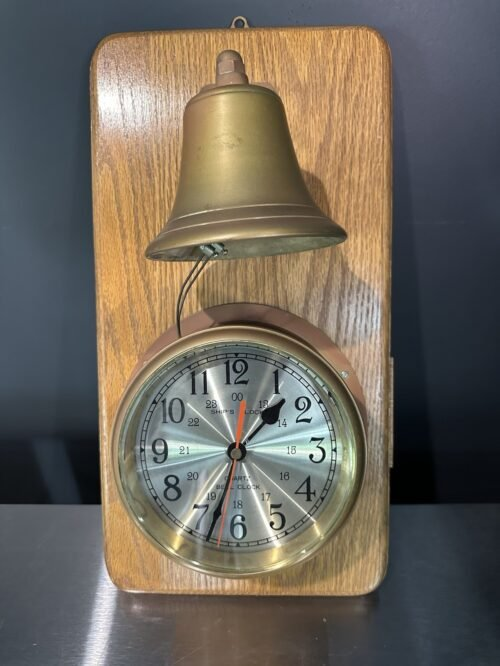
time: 1:33
